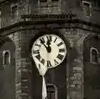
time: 11:53
